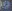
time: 7:00
